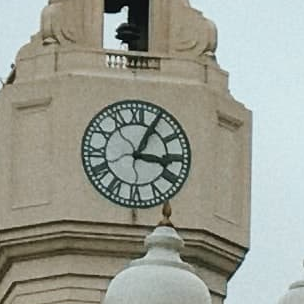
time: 3:04
